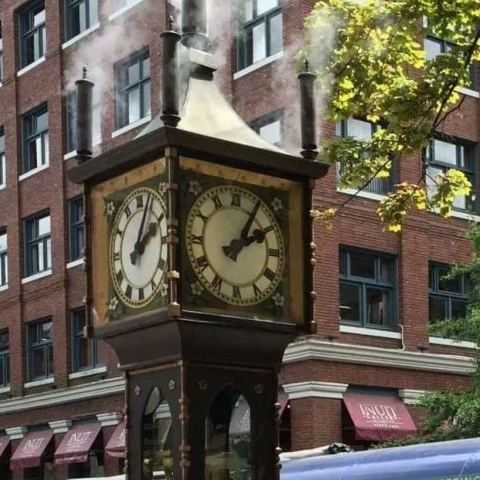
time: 2:04
